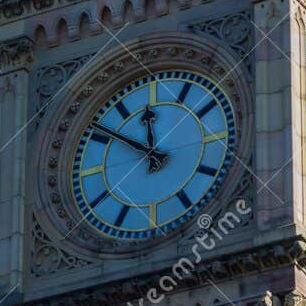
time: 11:50
